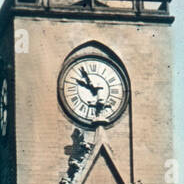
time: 9:55
